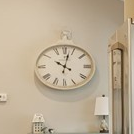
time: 10:02
